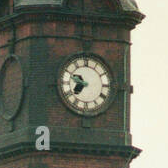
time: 7:49
